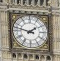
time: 1:47
